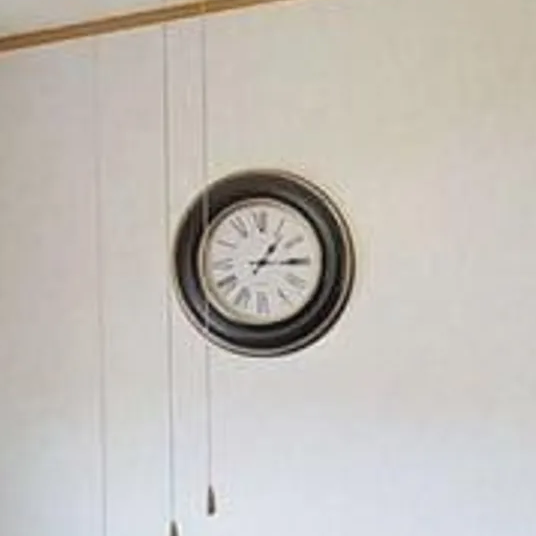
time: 1:14
